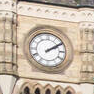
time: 2:09
